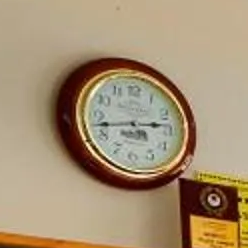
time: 2:42
